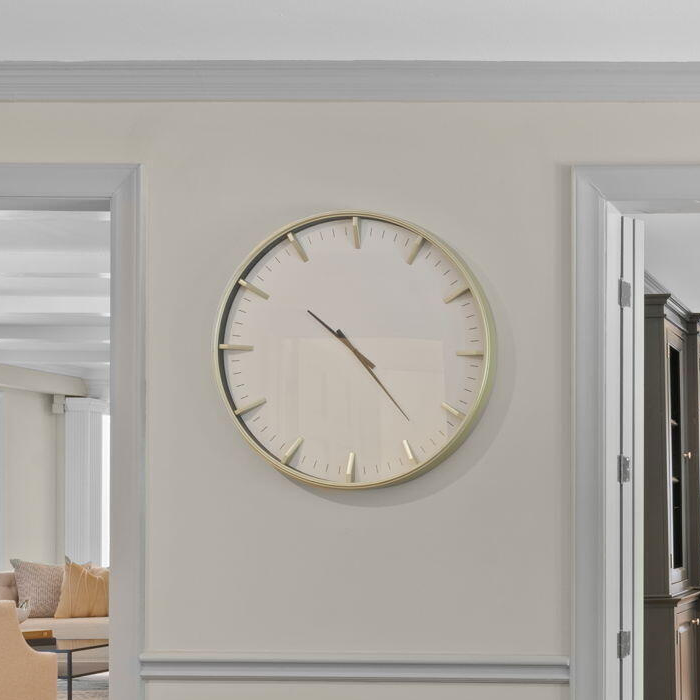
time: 10:23
